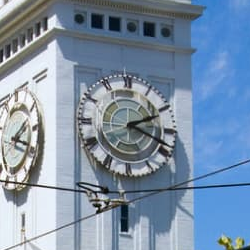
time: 2:18
